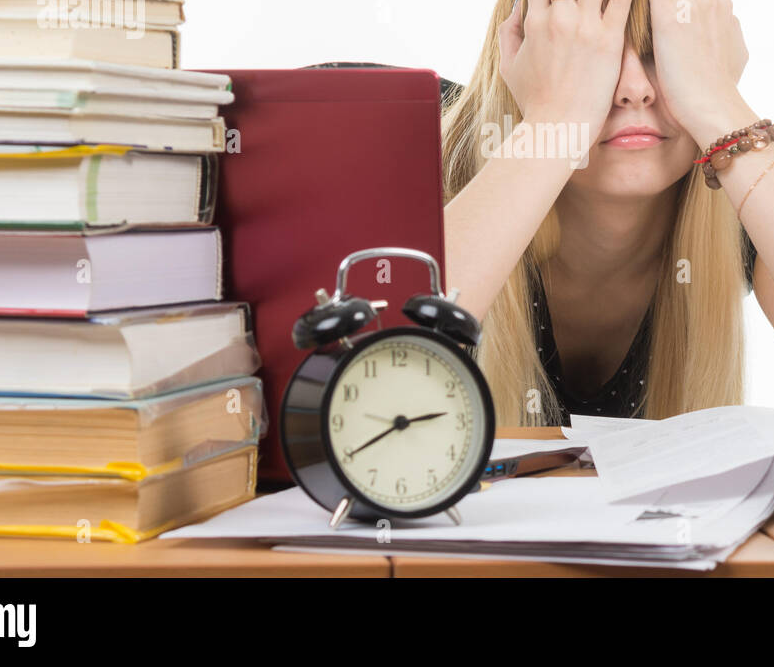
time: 2:40
